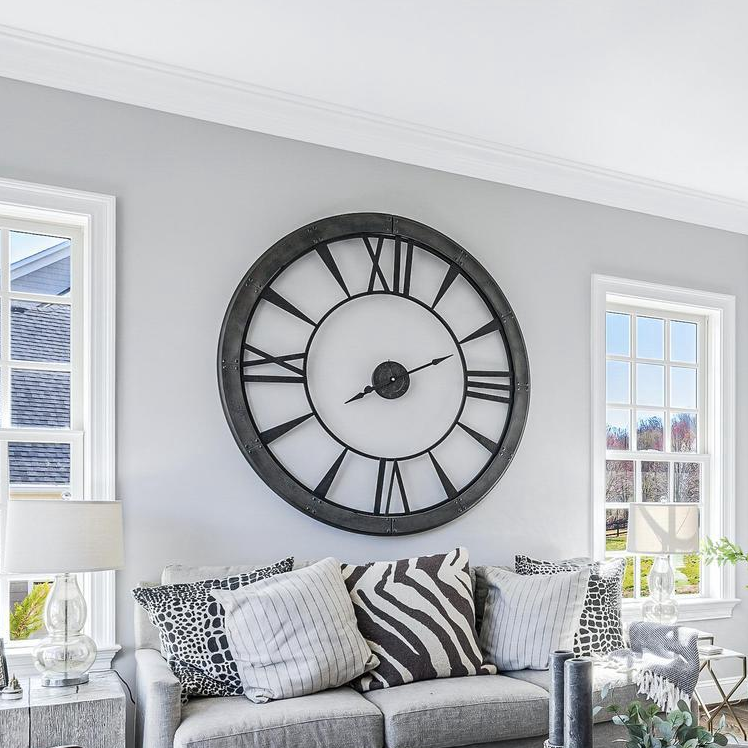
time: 2:10
